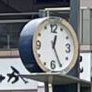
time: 12:25
